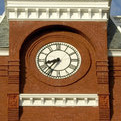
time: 8:36
